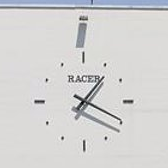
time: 1:19
